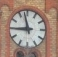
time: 8:57
